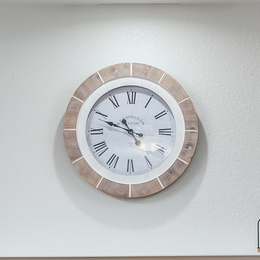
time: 10:48
